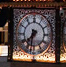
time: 7:32
